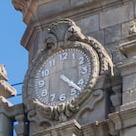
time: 4:21
